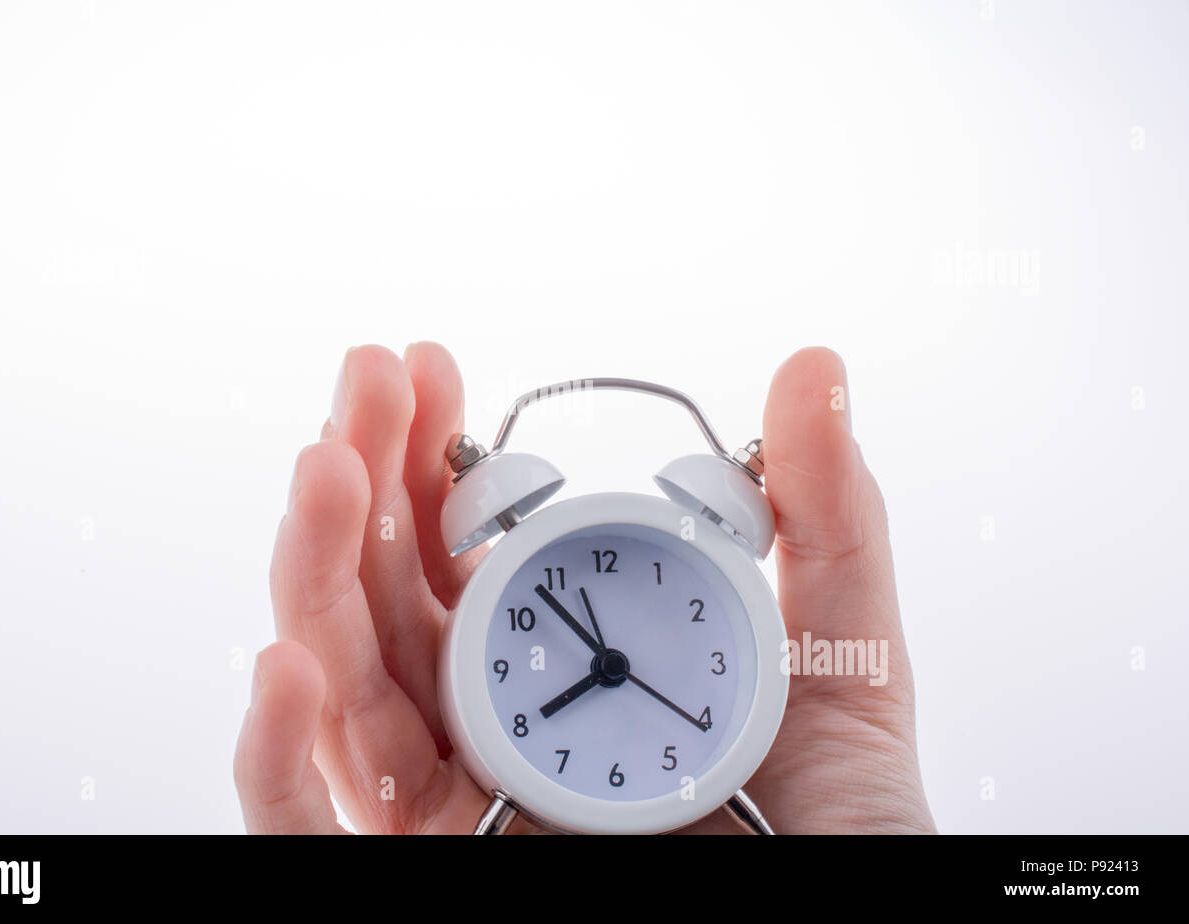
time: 7:53
